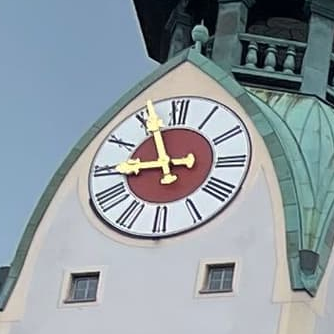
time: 8:56
